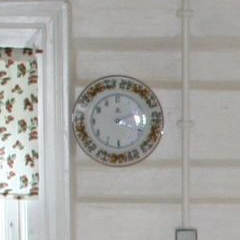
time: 2:18
